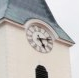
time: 5:12
